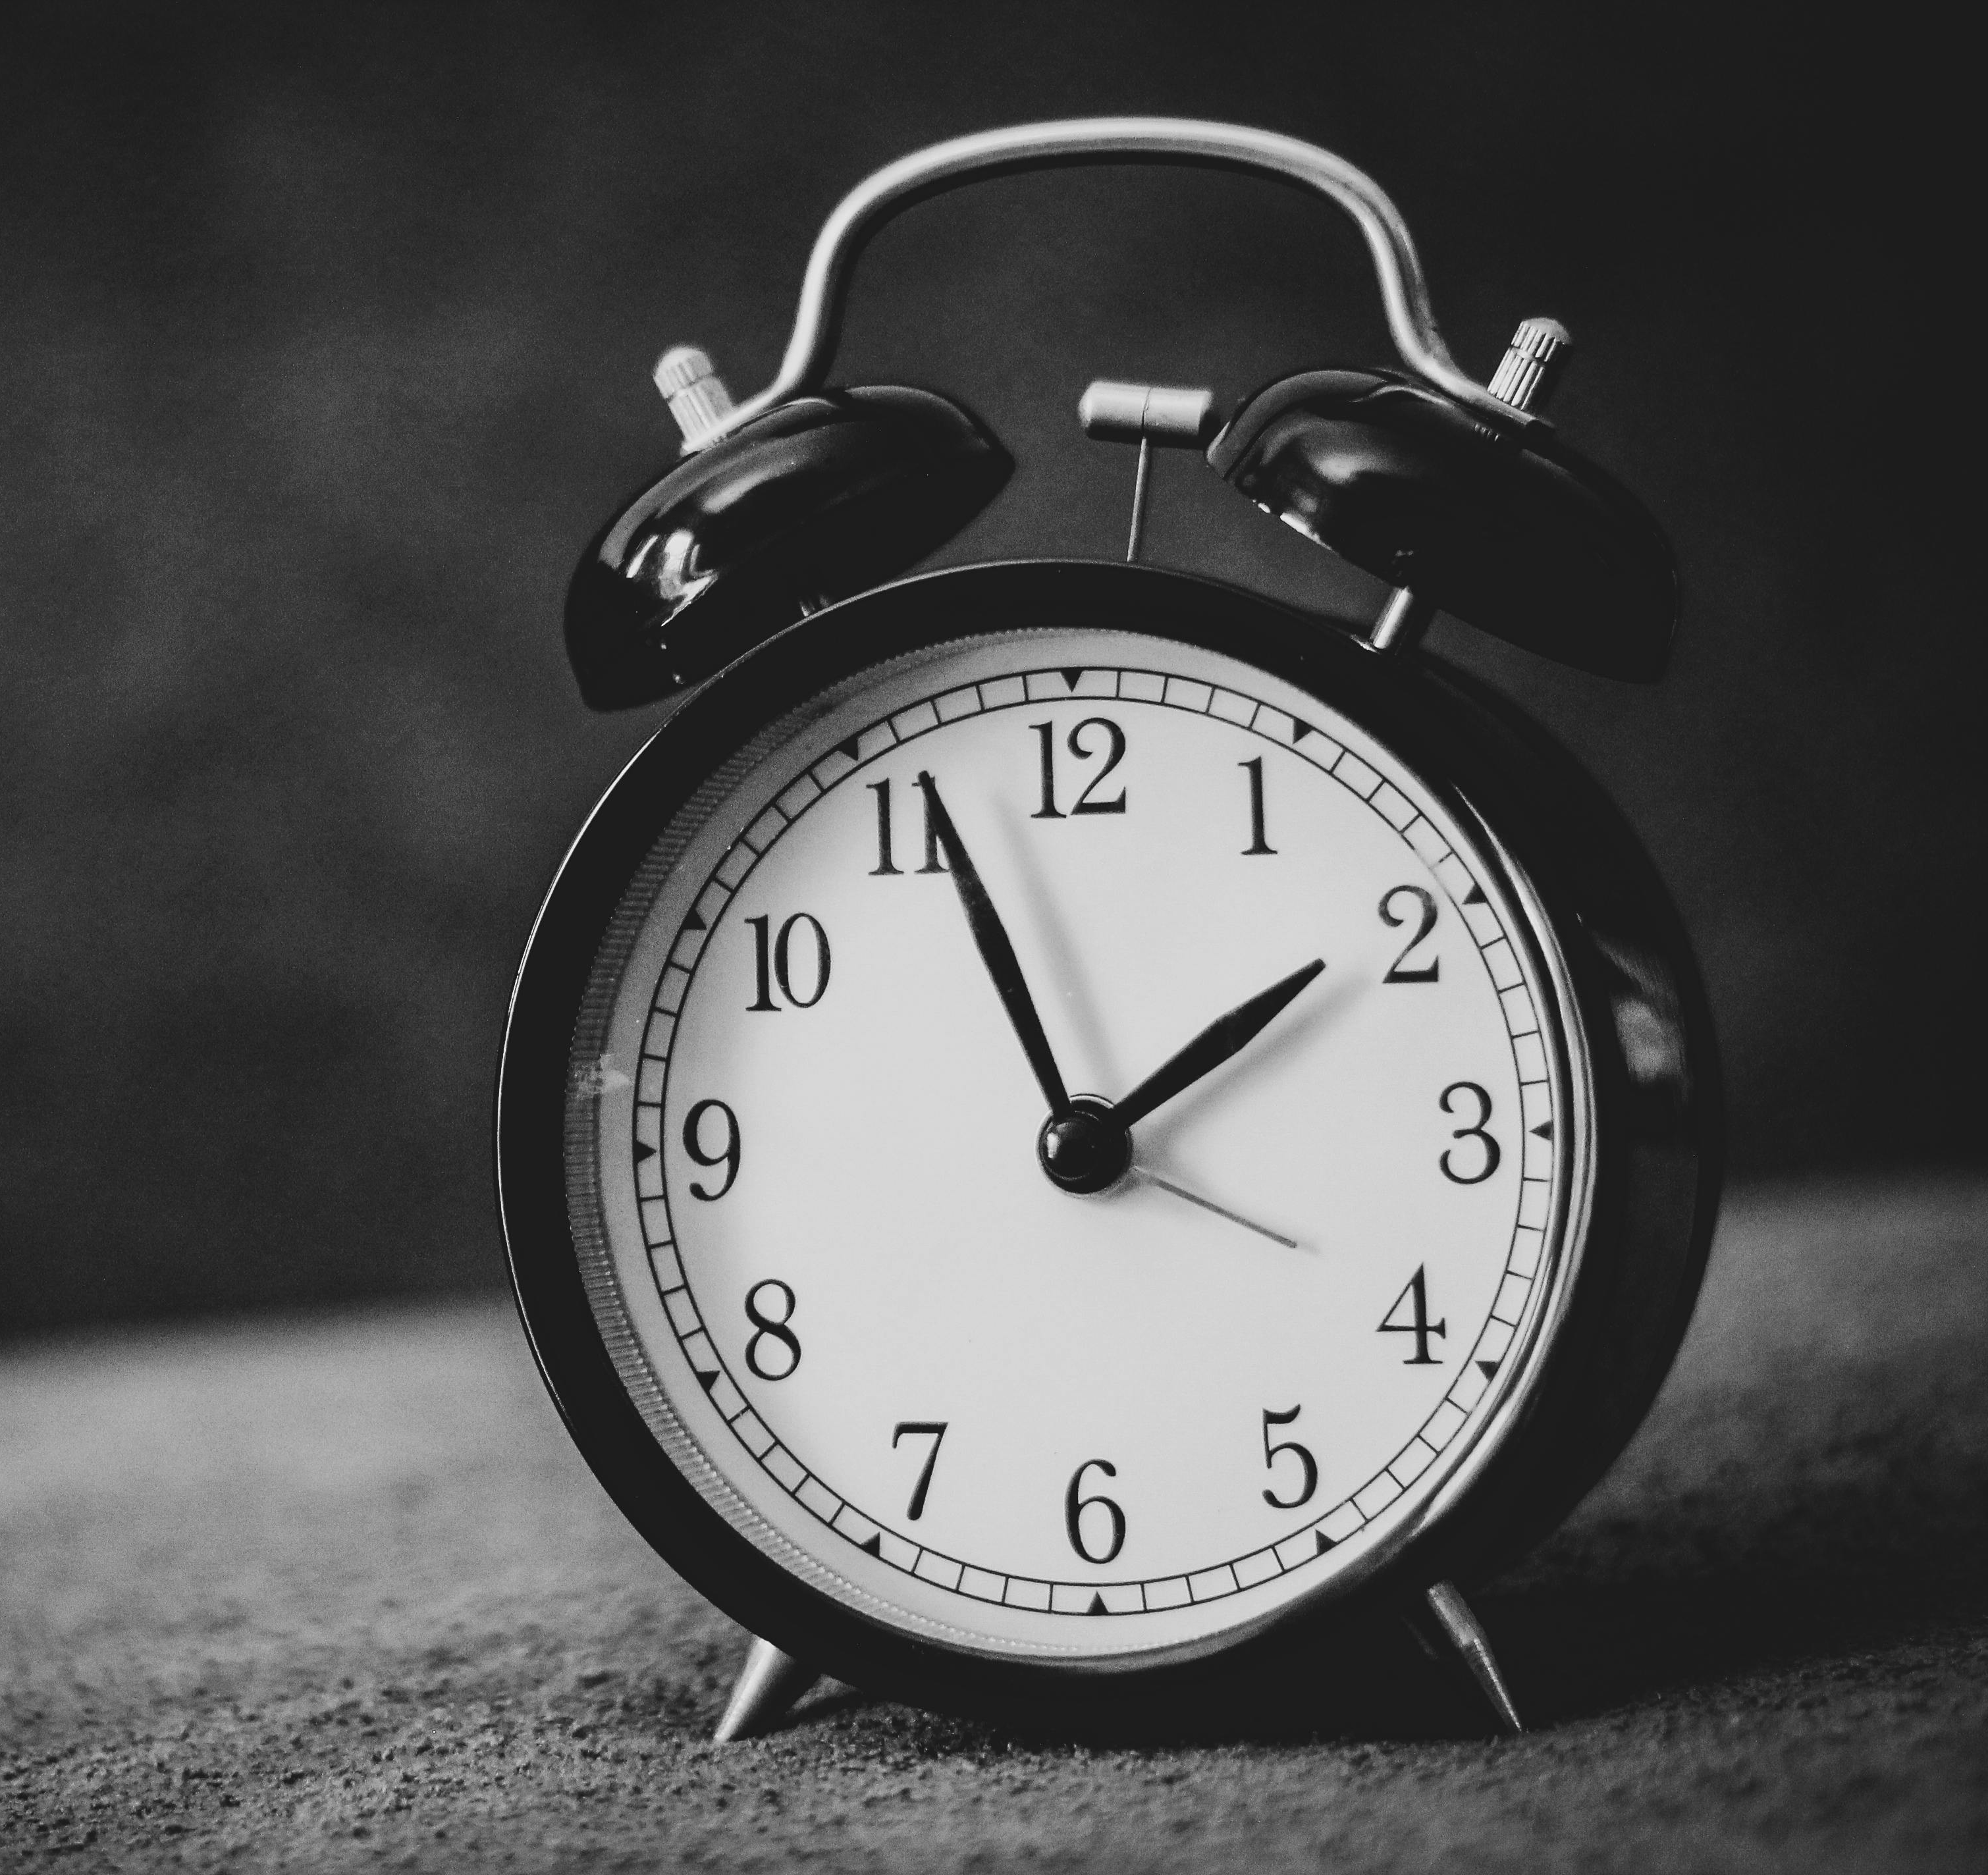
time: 1:56
